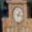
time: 7:17
